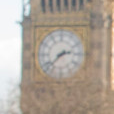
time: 2:37
